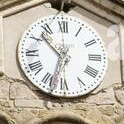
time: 10:32
